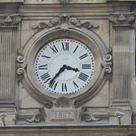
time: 3:36
